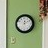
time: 12:10
